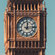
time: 12:14
